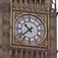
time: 10:38
